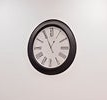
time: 12:55
